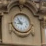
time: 8:54
